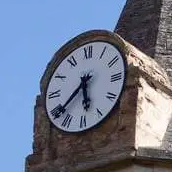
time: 5:38
